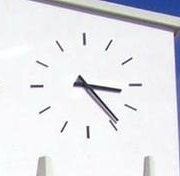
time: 3:23
